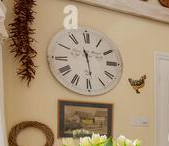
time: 11:28
